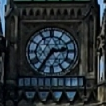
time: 2:36
